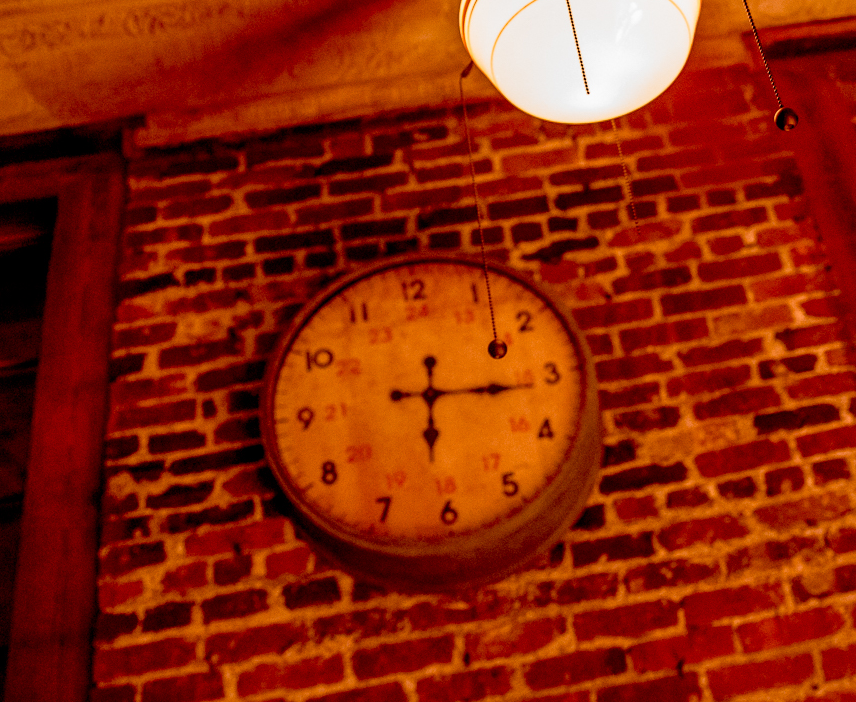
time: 6:16
